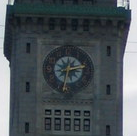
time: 2:32
